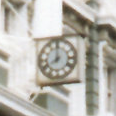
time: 7:59
